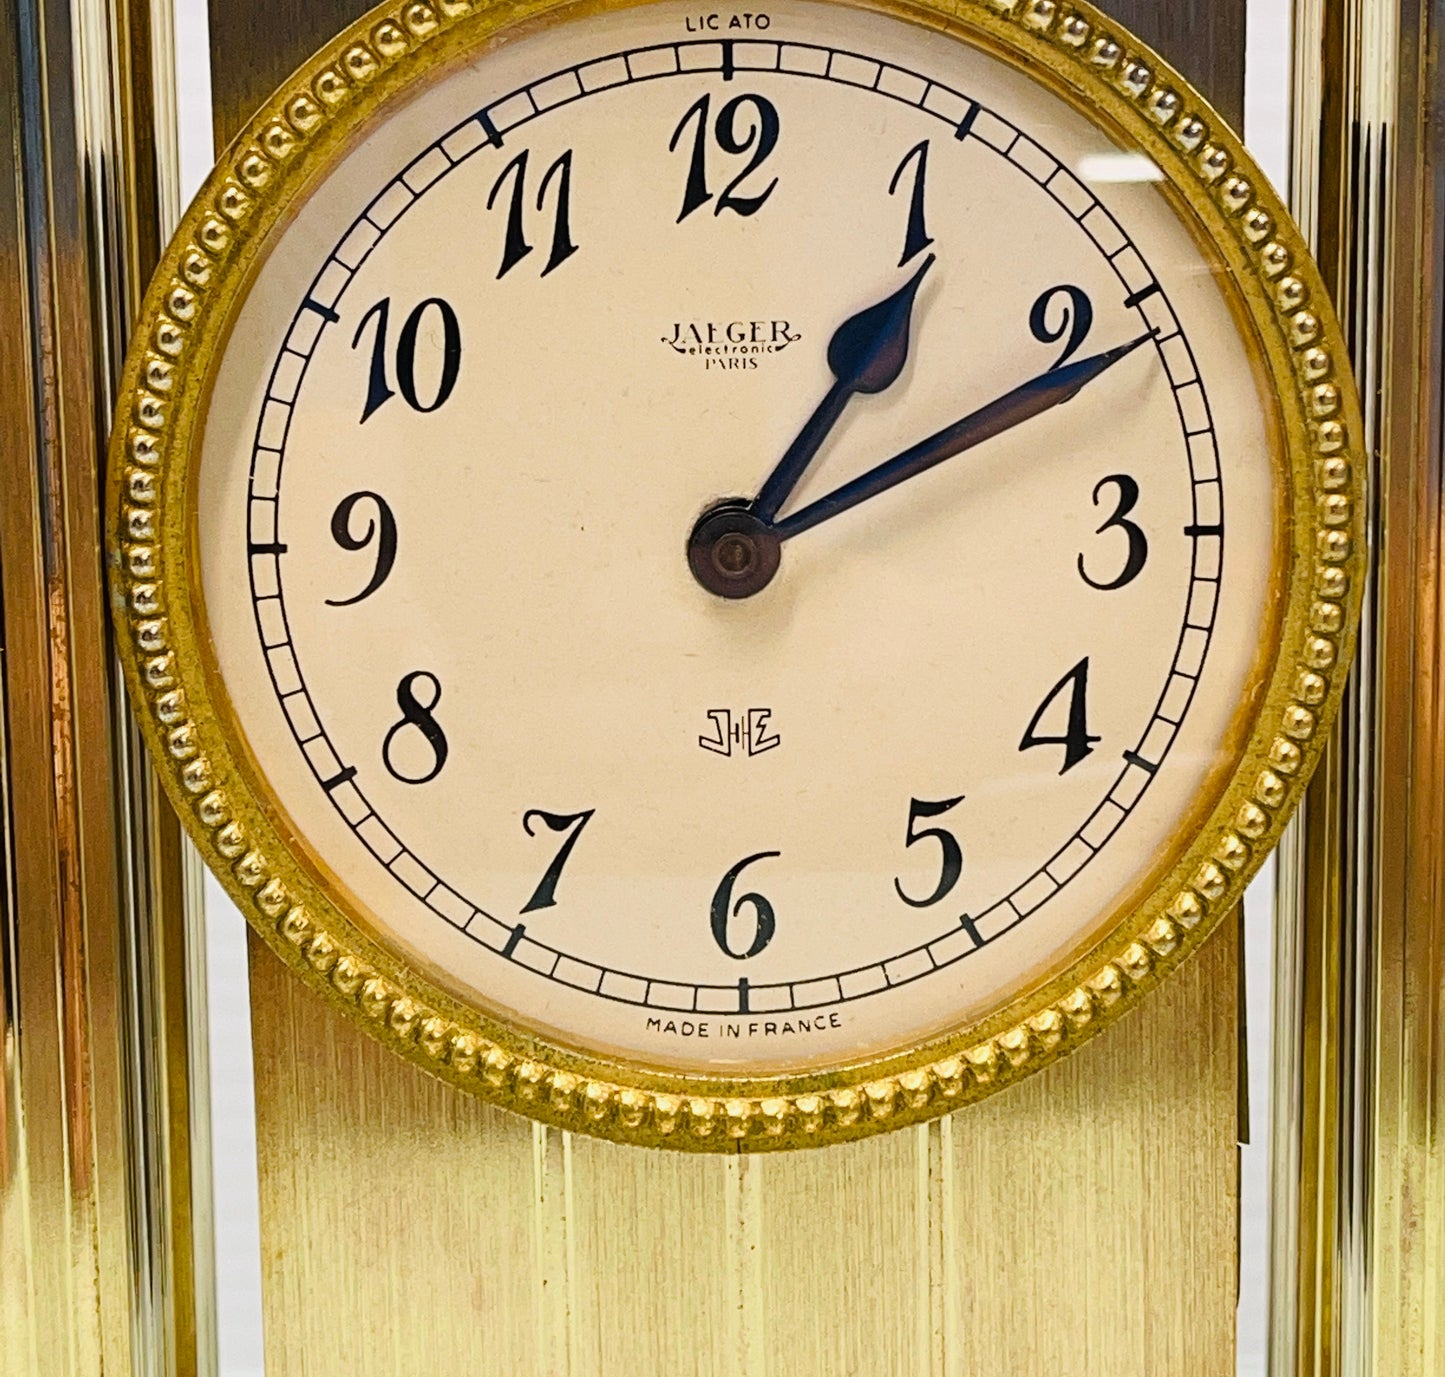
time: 1:10
